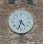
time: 4:33
